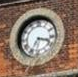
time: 3:34
